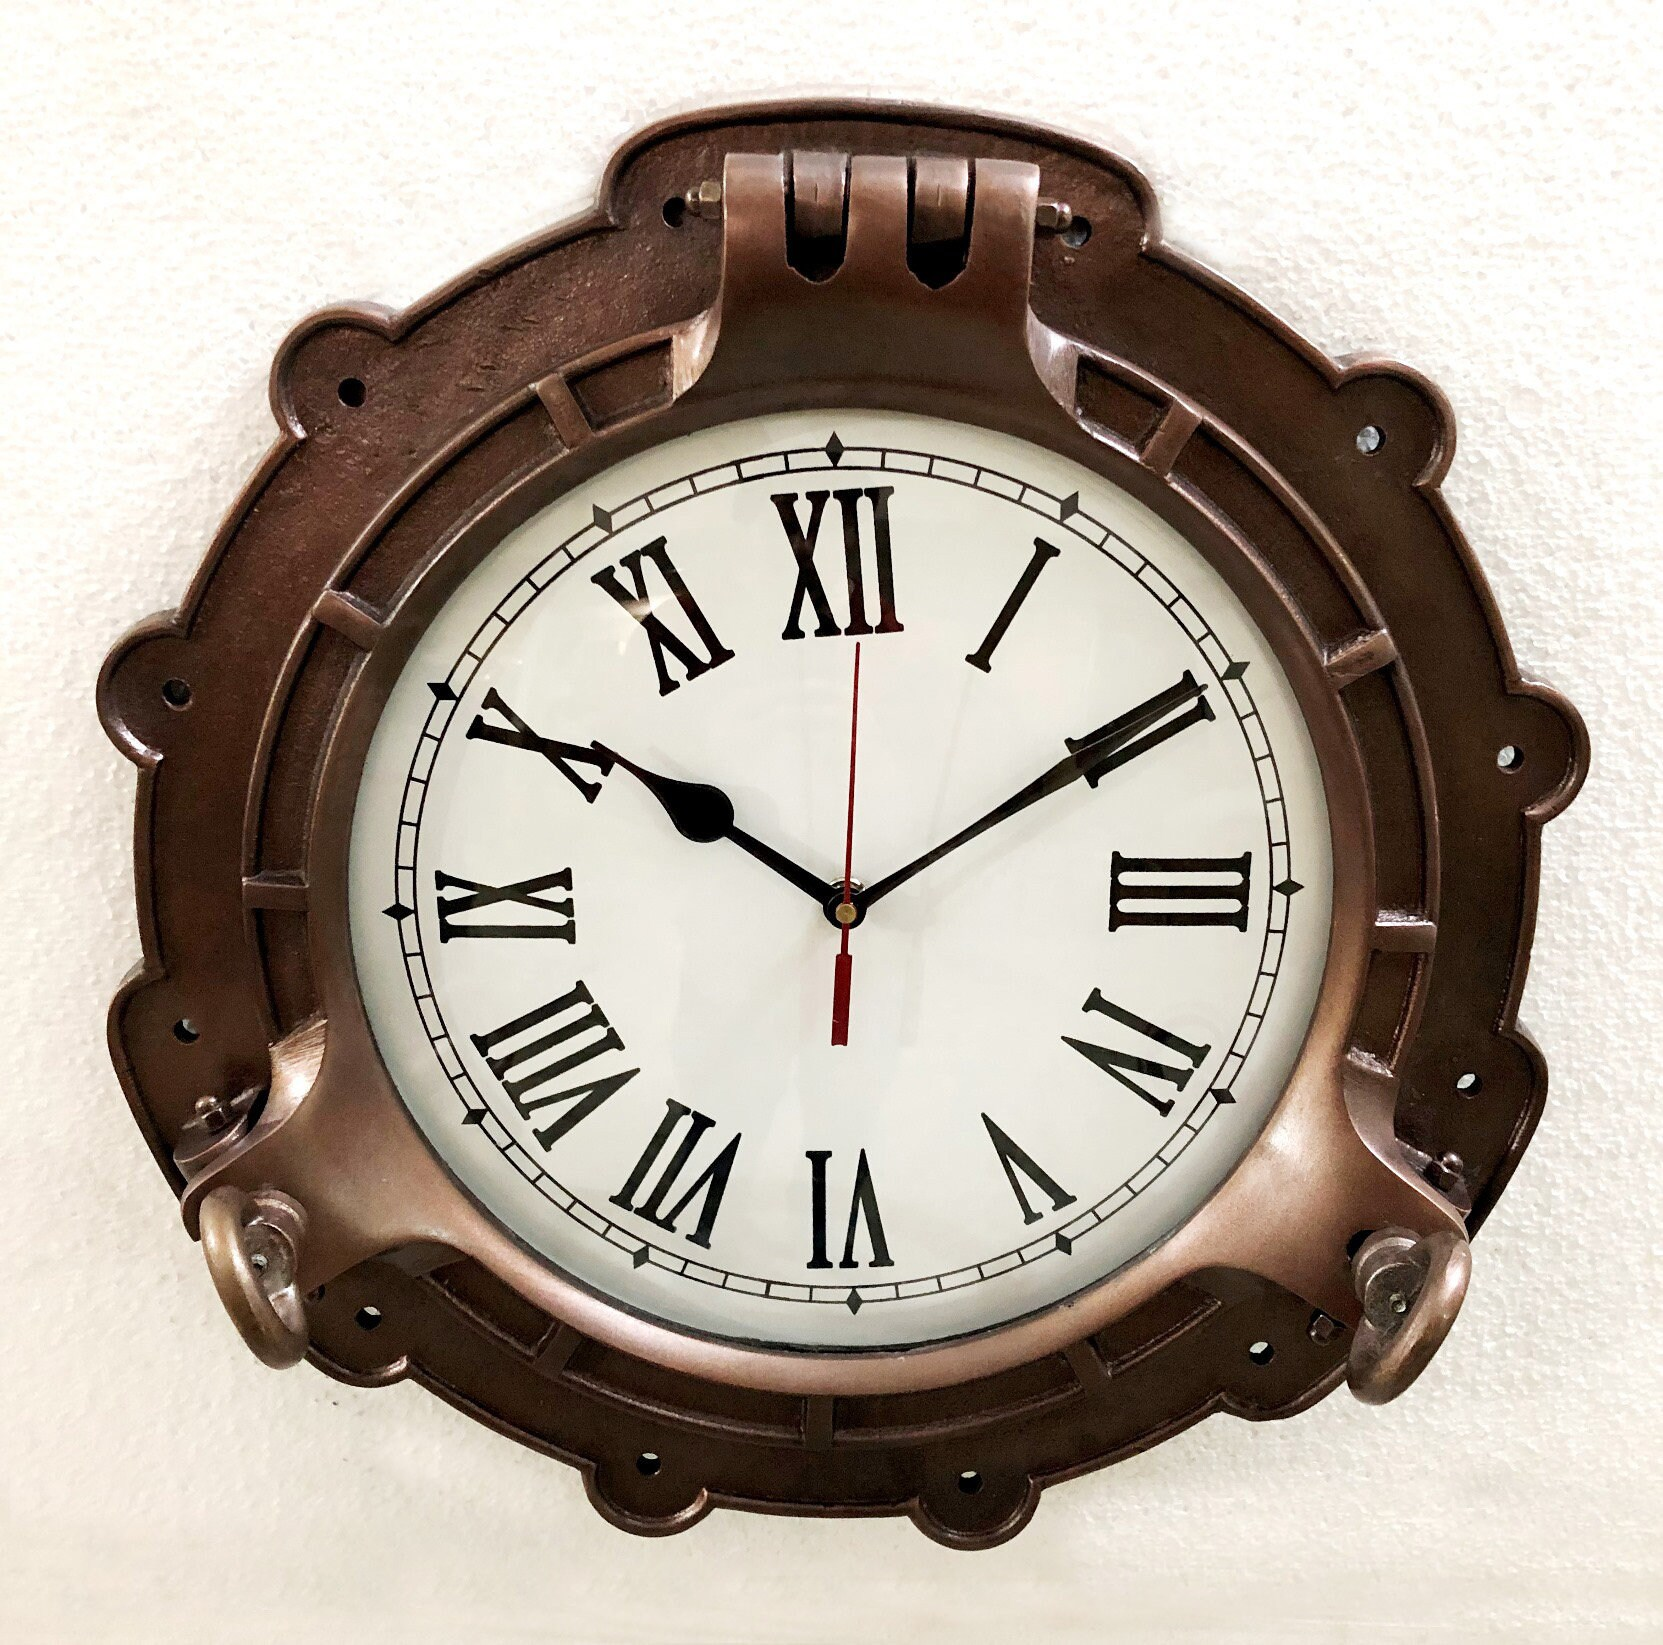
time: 10:09
